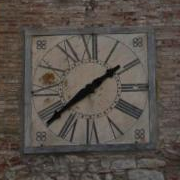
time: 1:38
